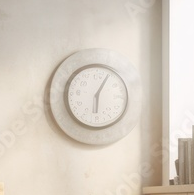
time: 6:04
